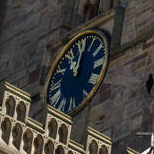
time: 11:02
